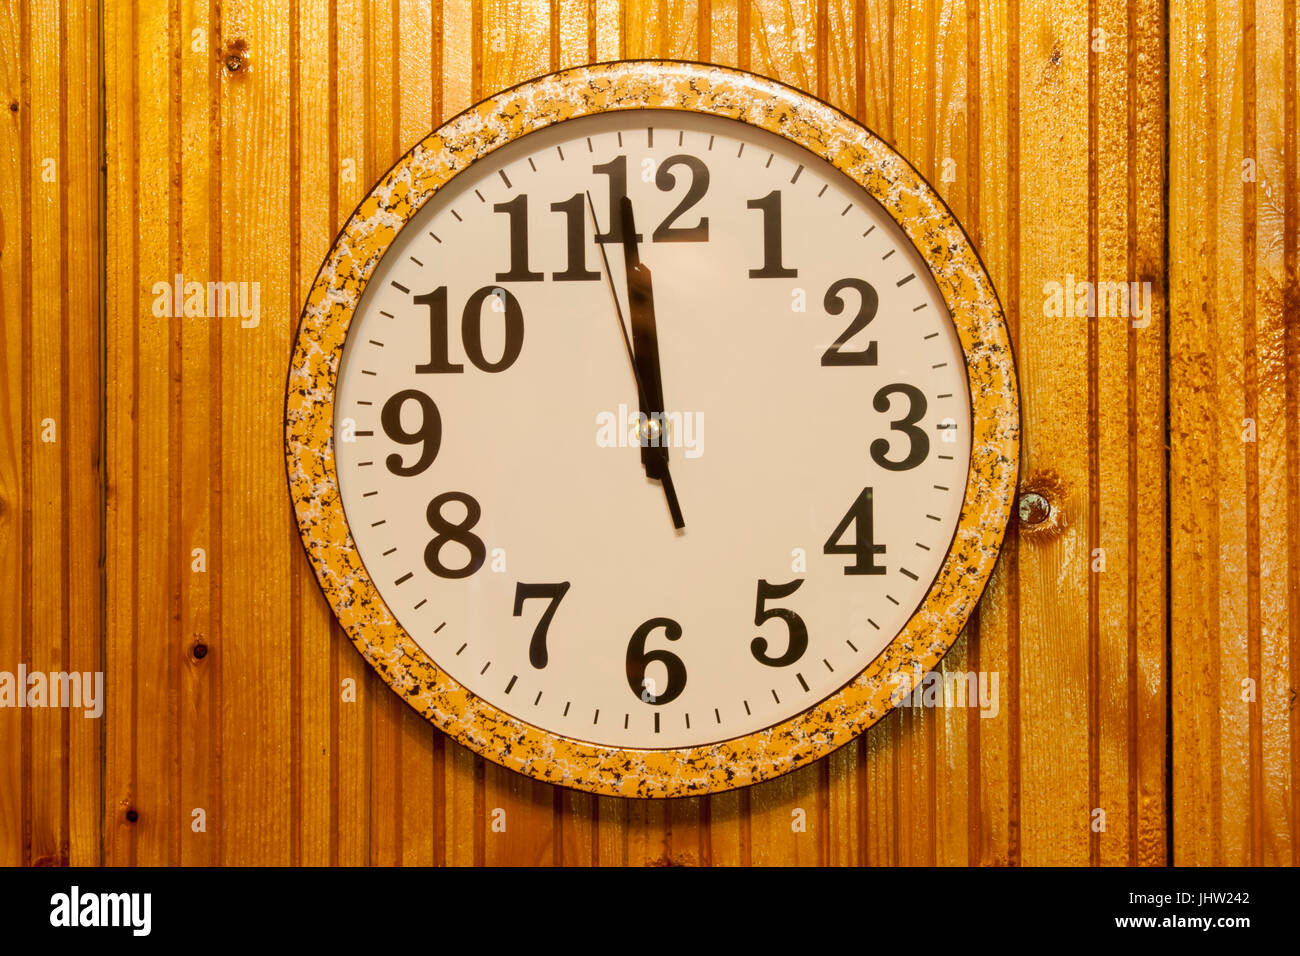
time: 11:58
